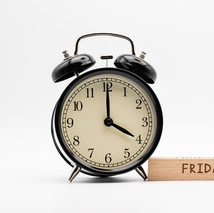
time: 4:00
